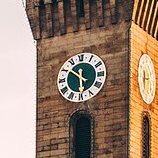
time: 5:51
